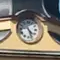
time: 4:26
